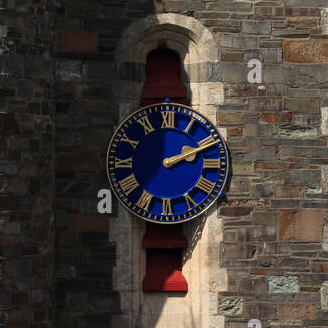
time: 2:11
